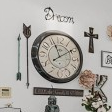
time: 11:09
